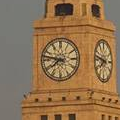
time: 7:46
